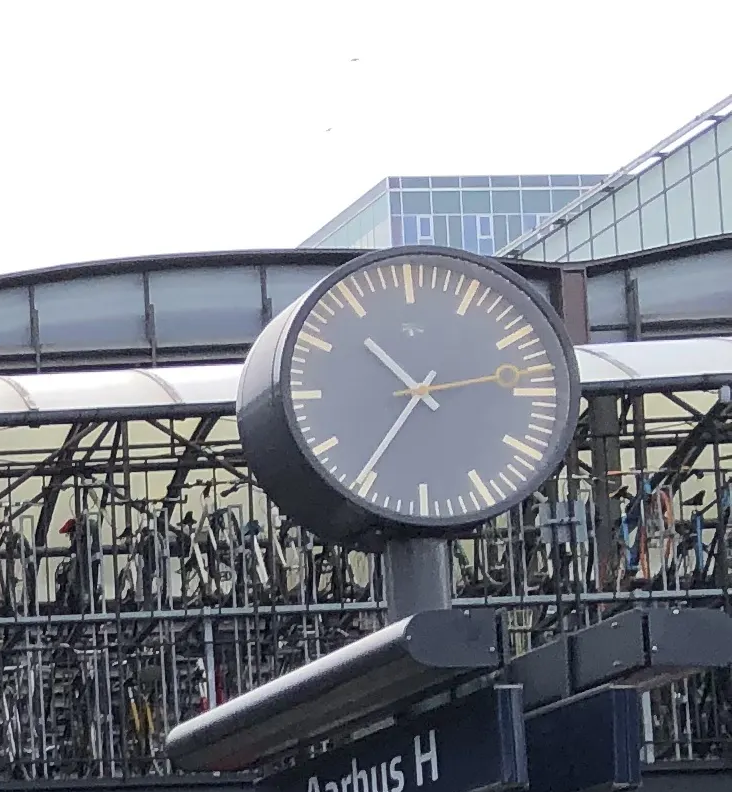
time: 10:35
